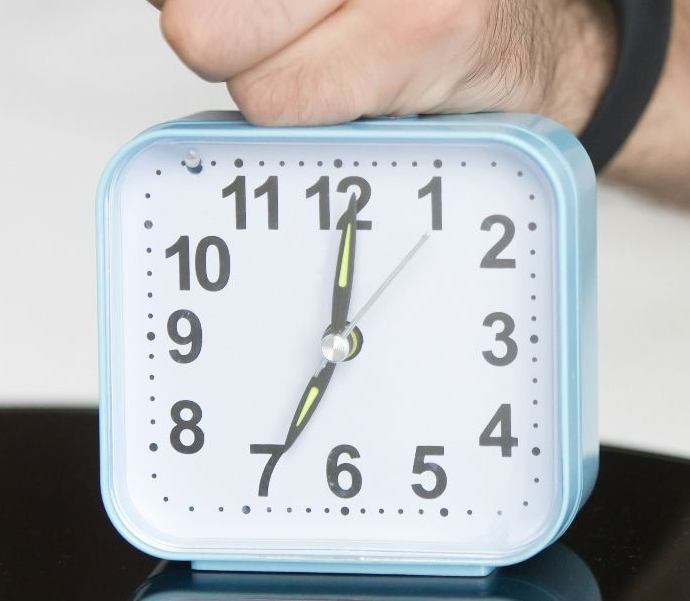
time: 7:00
